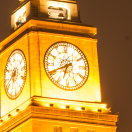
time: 6:40
